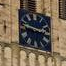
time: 2:46
